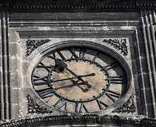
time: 10:42
